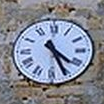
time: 4:26
